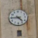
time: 4:44
